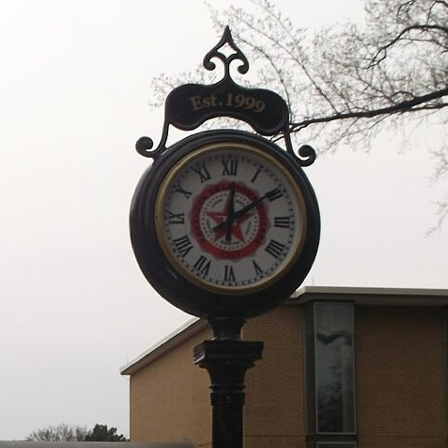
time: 12:09
